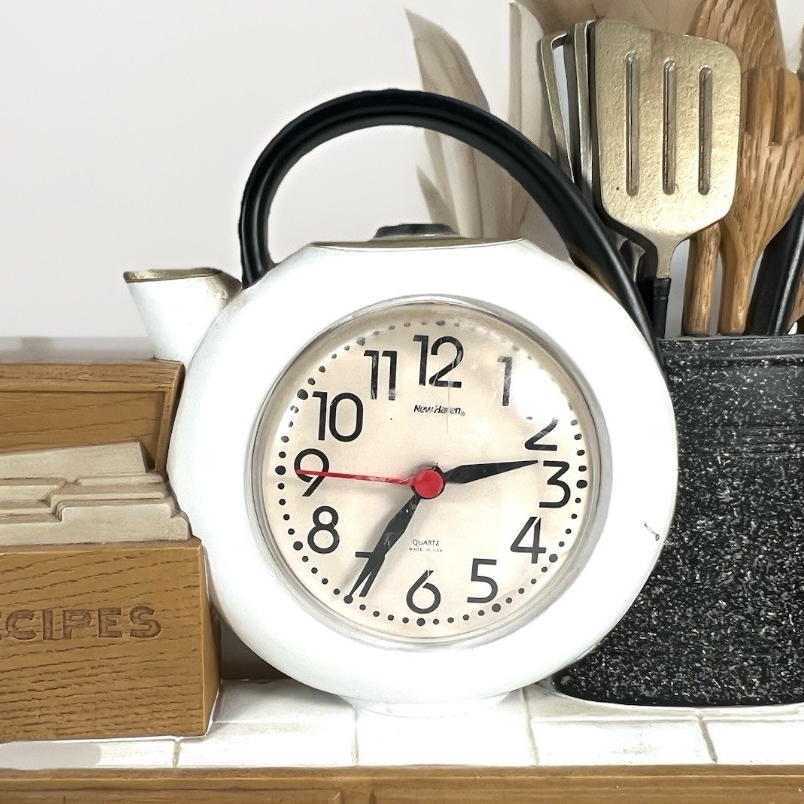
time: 2:34
